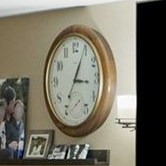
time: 3:04
